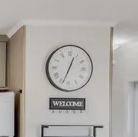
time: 12:33
